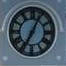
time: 7:04
